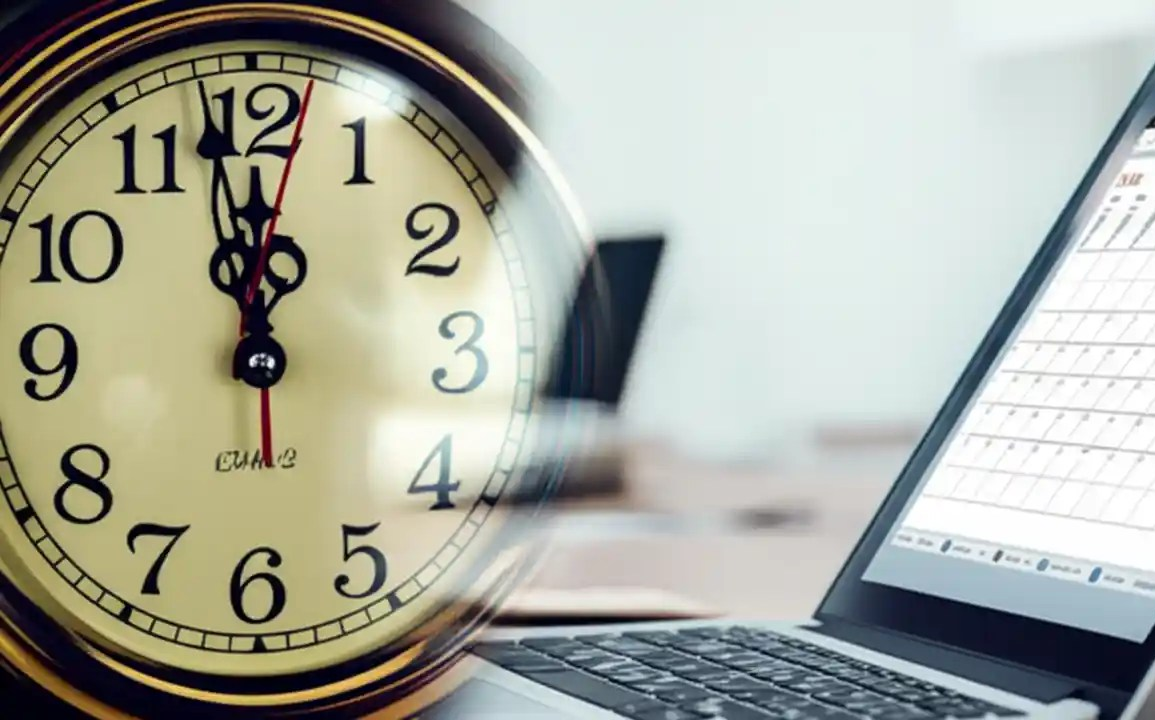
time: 11:58
